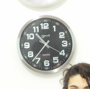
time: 10:36
